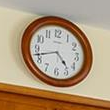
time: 4:42
